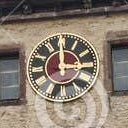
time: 2:59
